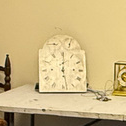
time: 12:28
